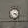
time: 3:22
